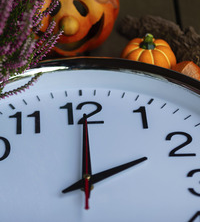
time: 2:00
